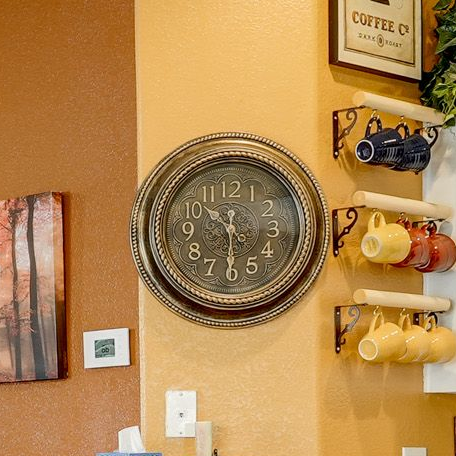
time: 10:30
